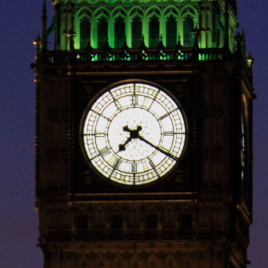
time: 7:20
